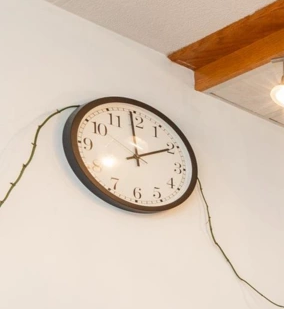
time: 1:59
